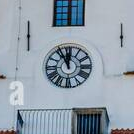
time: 11:55
